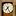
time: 7:25
